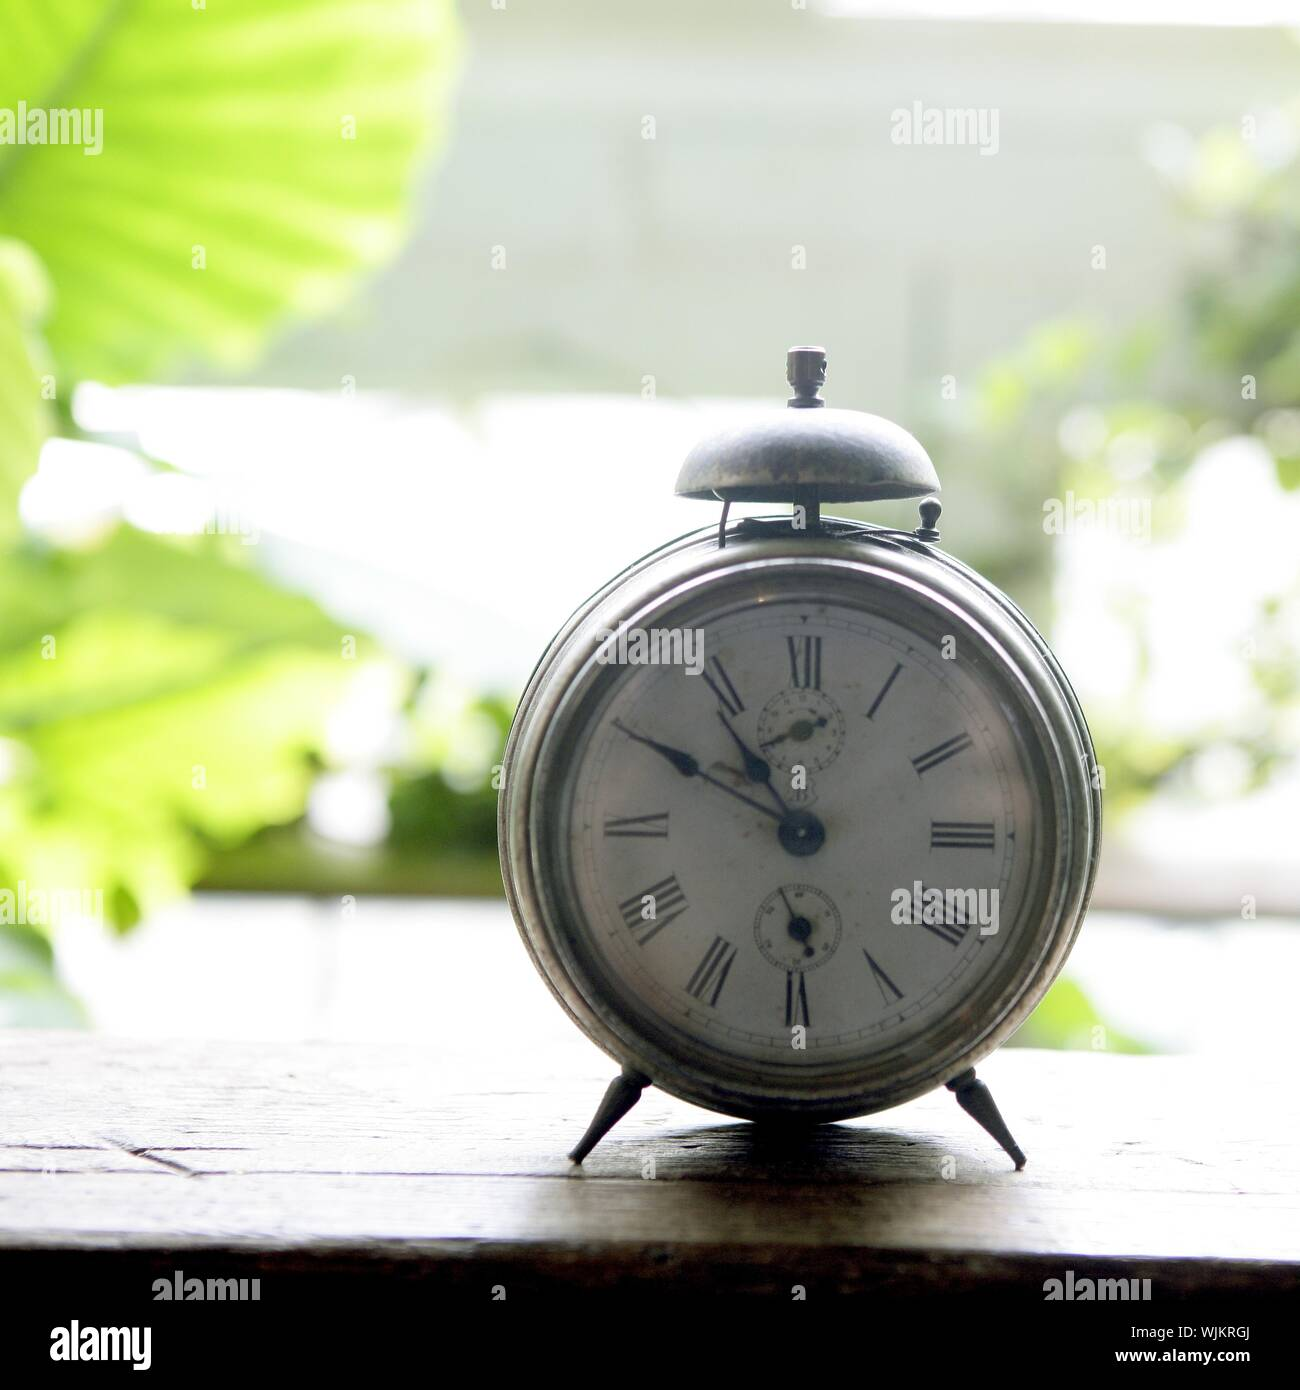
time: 10:49
